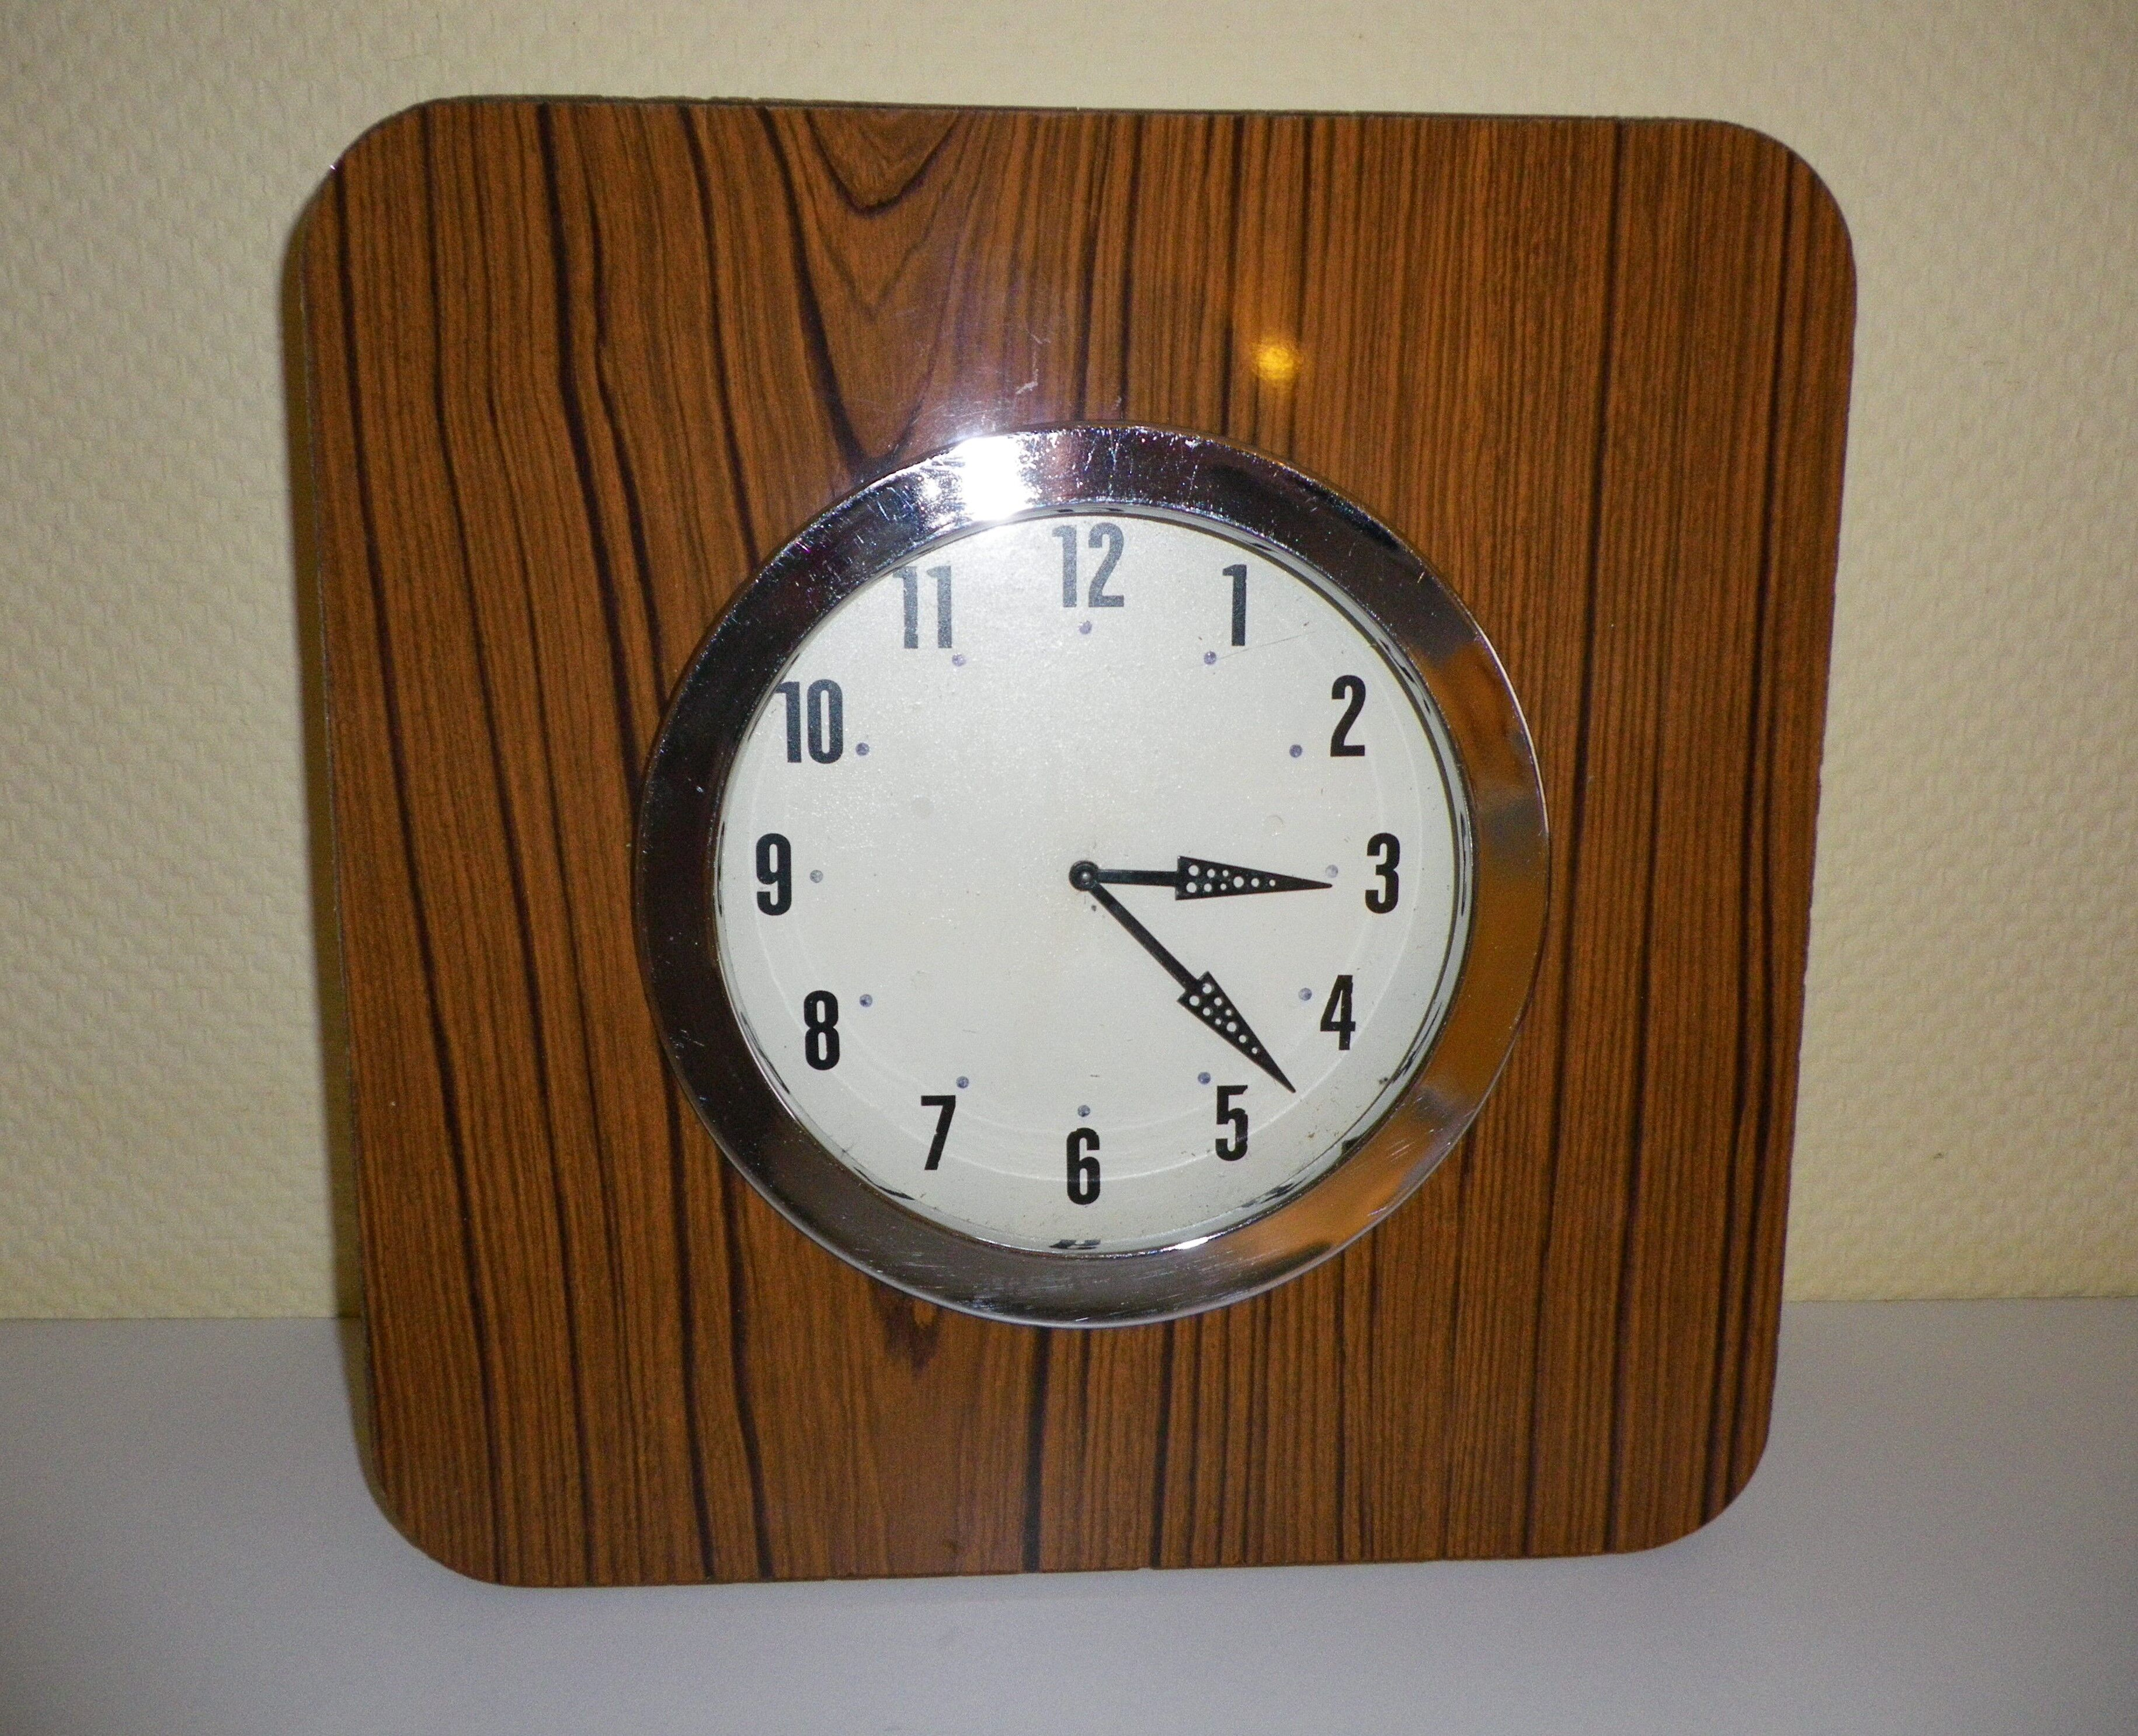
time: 3:22
